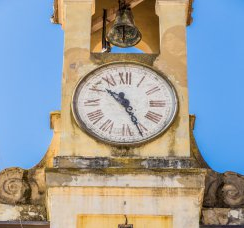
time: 10:26
